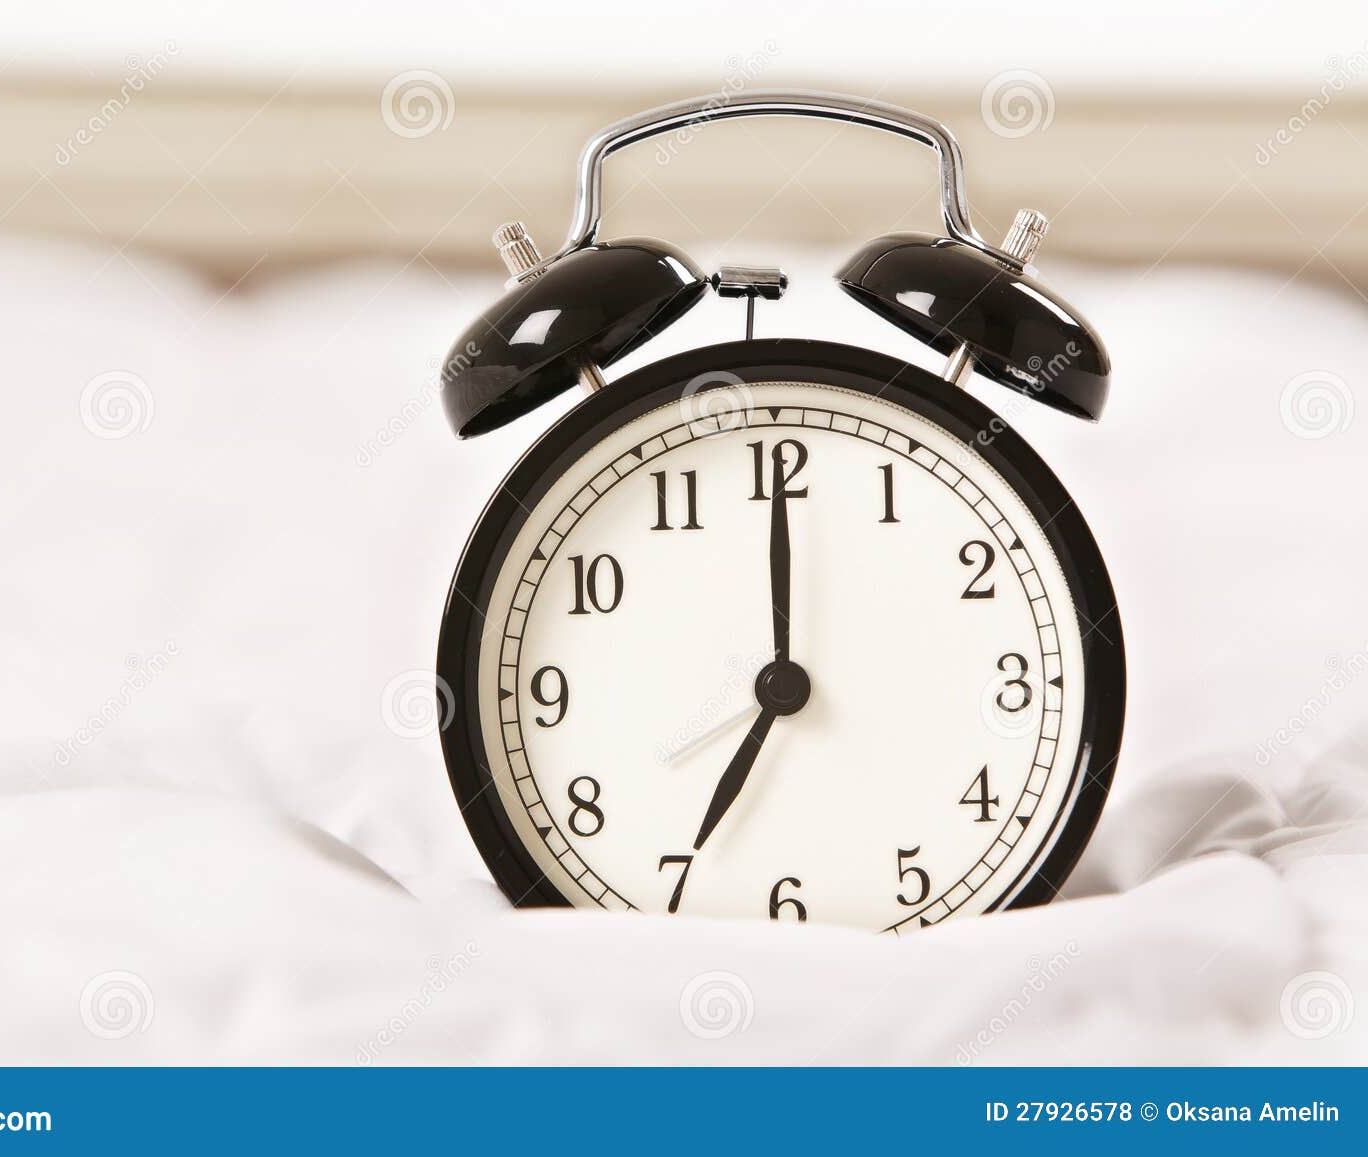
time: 7:00
